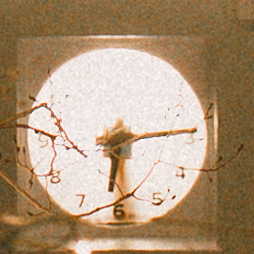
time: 6:13
